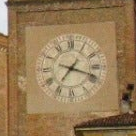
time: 7:18
